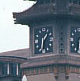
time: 1:32
